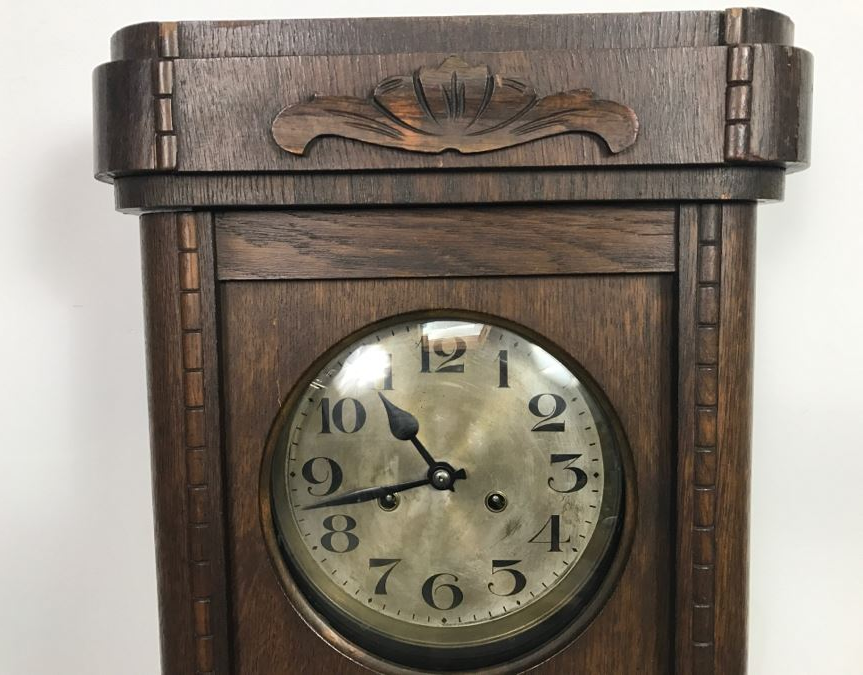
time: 10:42
